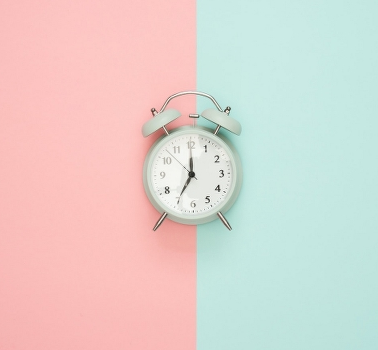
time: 7:00
